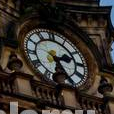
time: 2:24
